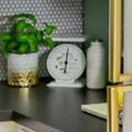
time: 6:00
